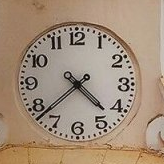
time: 4:38
